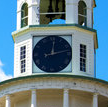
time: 12:12
